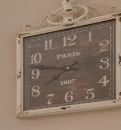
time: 7:47
